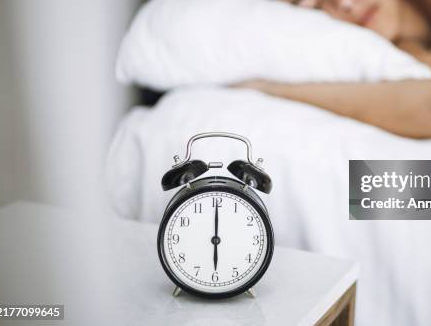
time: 6:00
